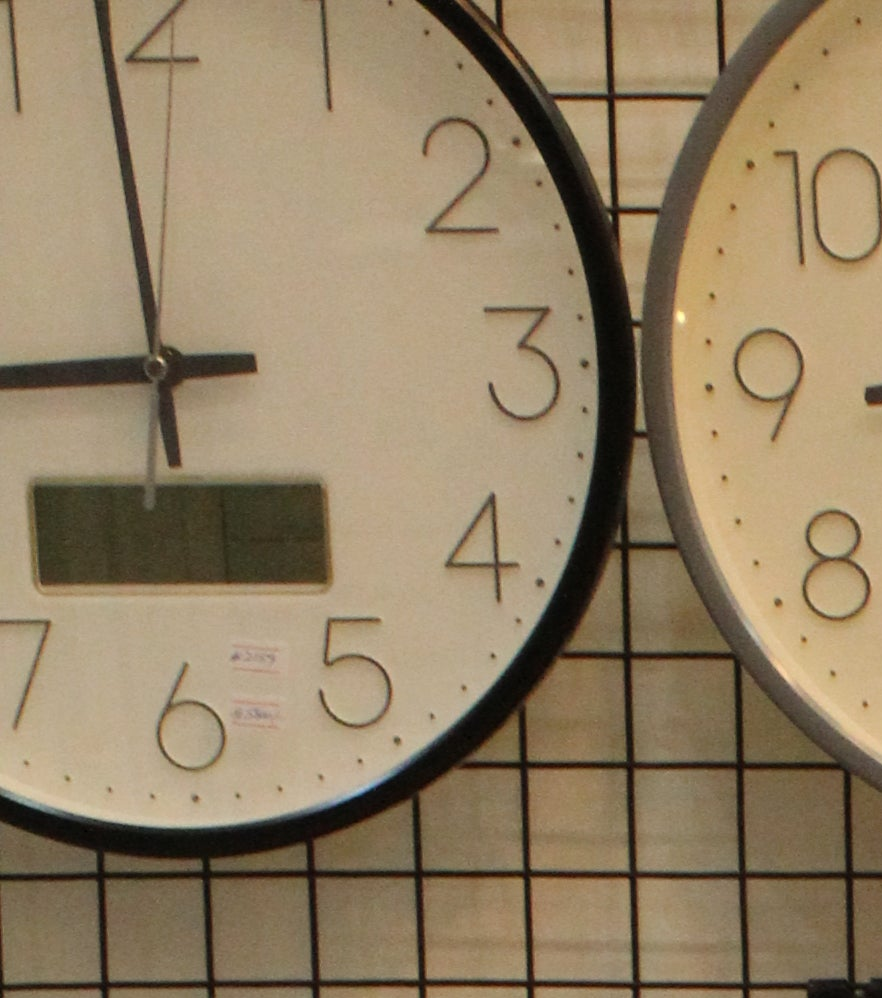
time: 8:58
